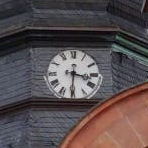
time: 3:30
